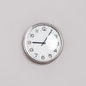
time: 9:05
